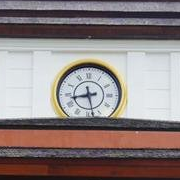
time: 8:28
